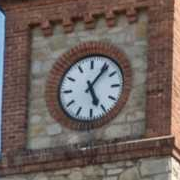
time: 5:06
